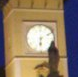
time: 6:10
